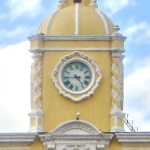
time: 4:44
